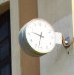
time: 9:32
